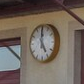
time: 4:59
